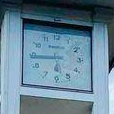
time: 5:44
